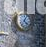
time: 4:04
